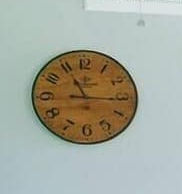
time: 11:15
